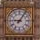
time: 9:05
